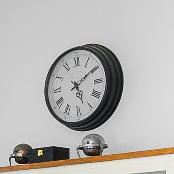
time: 5:09
